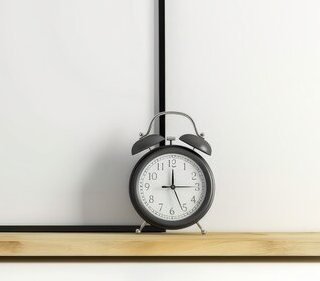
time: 12:14
